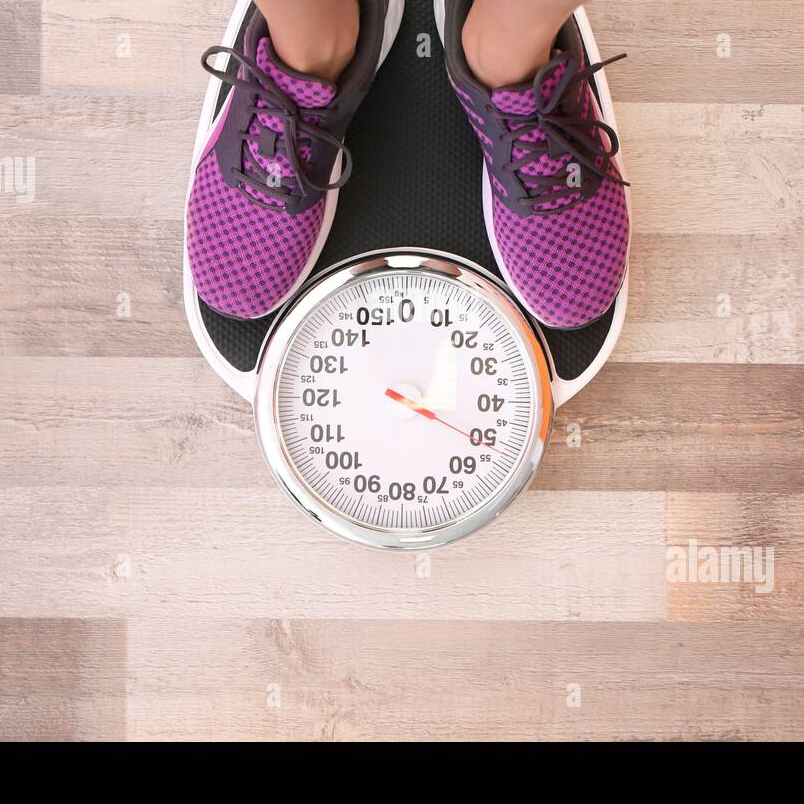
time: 4:20
